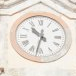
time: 10:32
